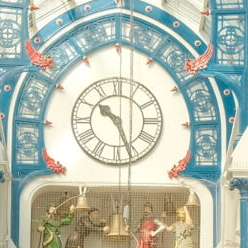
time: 10:26
